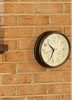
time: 10:33
